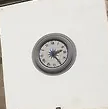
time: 2:24
